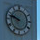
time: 9:48
